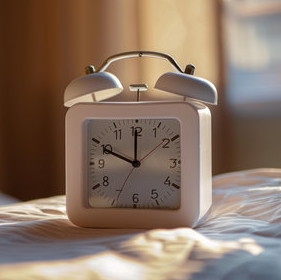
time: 11:49
